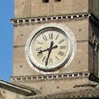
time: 8:32
